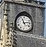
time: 11:13
